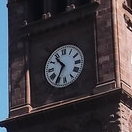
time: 10:35
